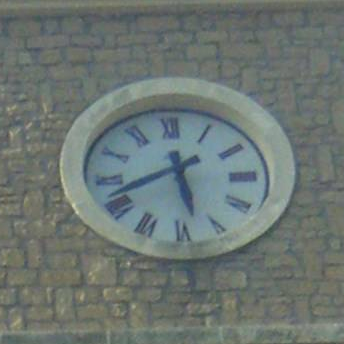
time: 5:41
